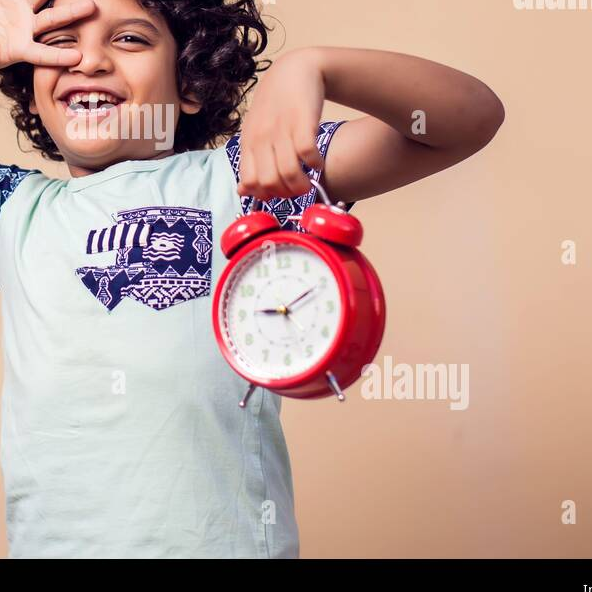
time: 9:10
